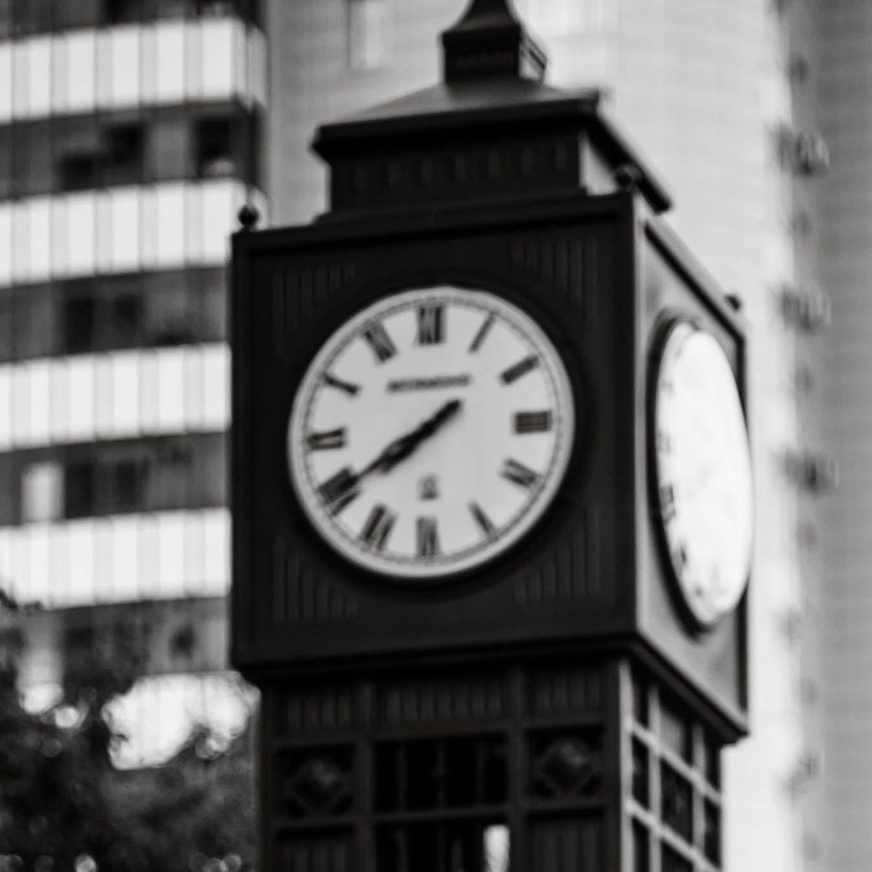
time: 7:39
